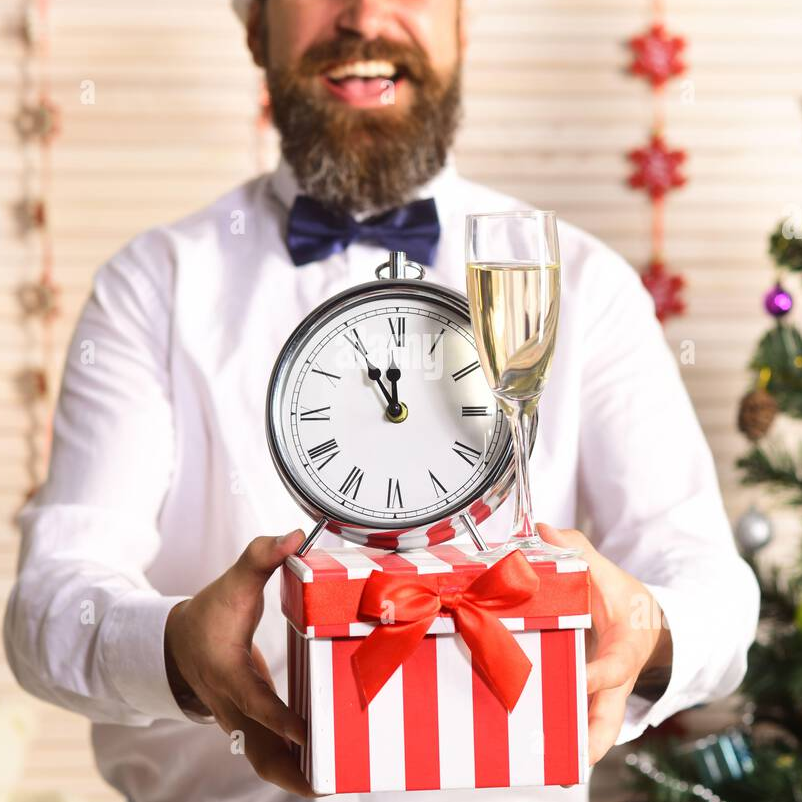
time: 11:55
